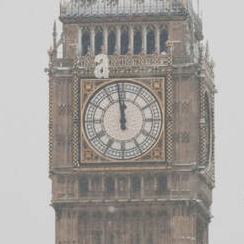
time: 11:58
